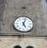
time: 5:03
